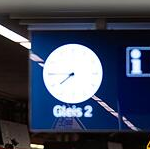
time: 7:44
